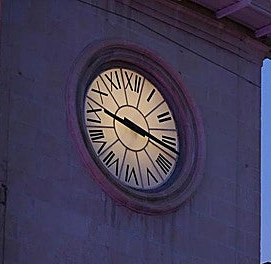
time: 9:16
